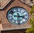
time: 3:29
